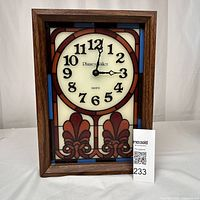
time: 3:01
